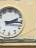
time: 2:15
